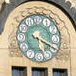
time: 5:19
